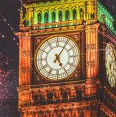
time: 5:05
